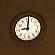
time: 9:01
